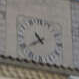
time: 10:39
